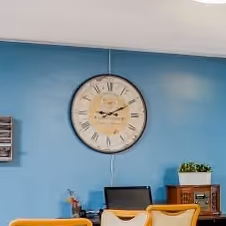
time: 9:10
